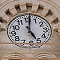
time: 5:01
